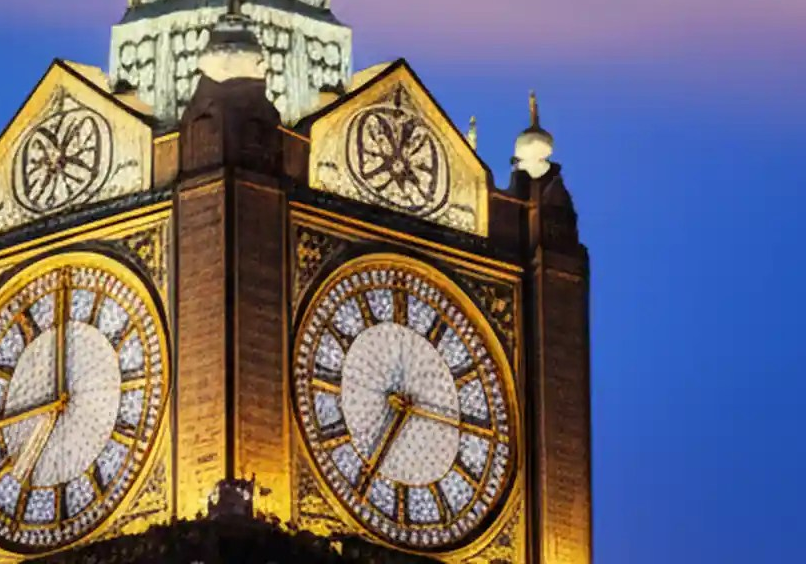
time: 7:15
